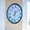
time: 6:08
